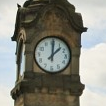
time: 12:07
